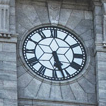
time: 5:26
